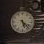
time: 5:22
